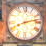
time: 8:12
